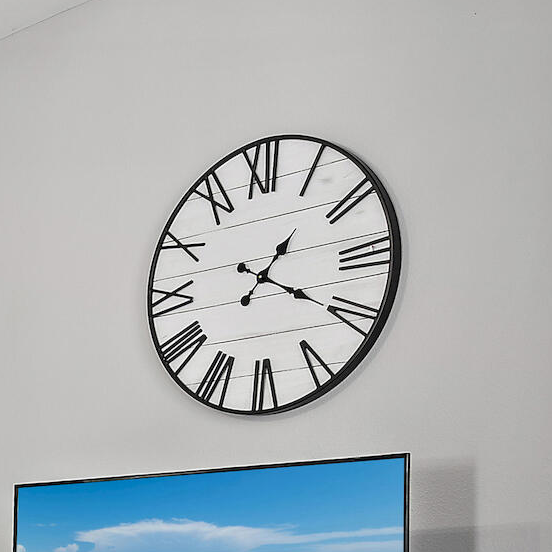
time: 1:19
